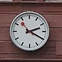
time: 2:19
